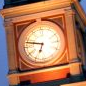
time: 6:47
